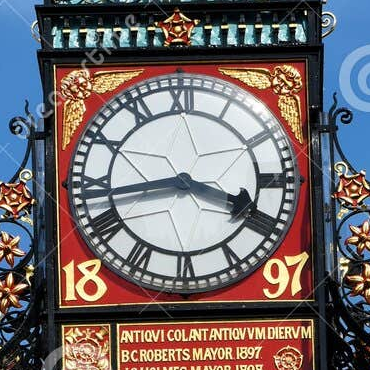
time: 3:43
